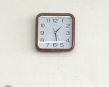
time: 1:28
